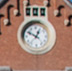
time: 12:49
